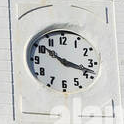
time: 10:18
